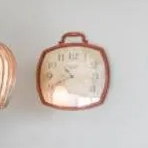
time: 10:41
